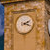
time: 2:18
